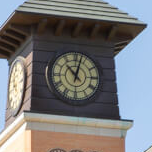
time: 10:02
